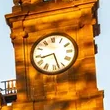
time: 8:27
